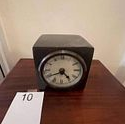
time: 4:40
